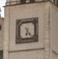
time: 6:23
